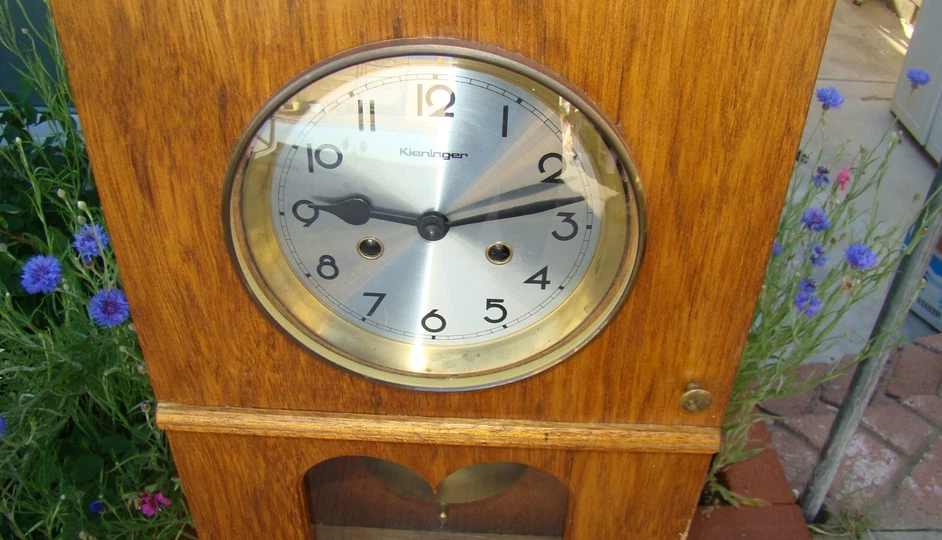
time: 9:12
